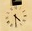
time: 4:30
